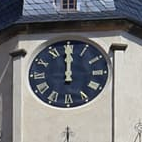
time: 11:59
